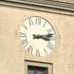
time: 3:12
